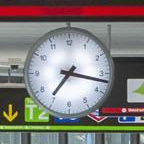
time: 7:16
